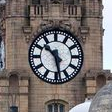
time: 10:28
